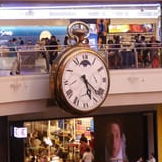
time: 5:21
